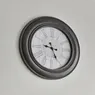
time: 9:25
